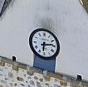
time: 6:13
